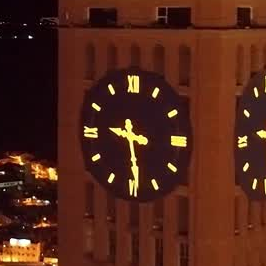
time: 9:28
